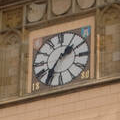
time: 1:36
